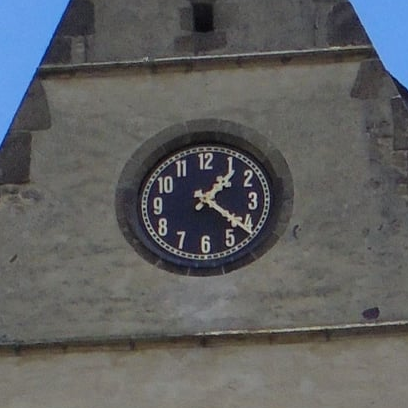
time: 1:21
